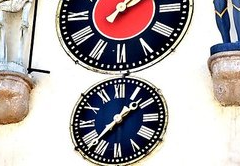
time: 1:37
